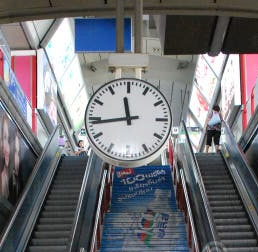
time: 11:43
